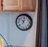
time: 11:02
